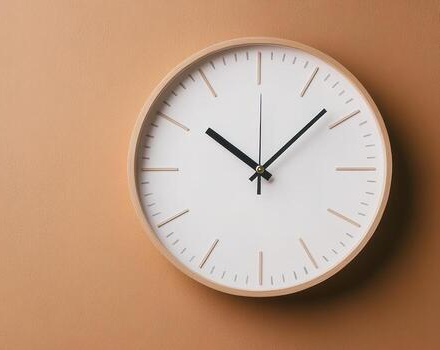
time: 10:07
